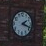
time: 2:18
